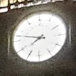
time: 7:47
